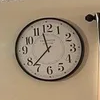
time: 11:37
